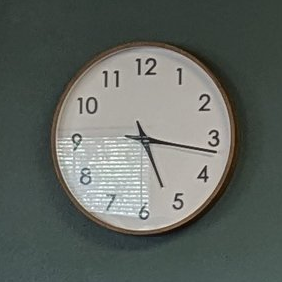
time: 5:16
